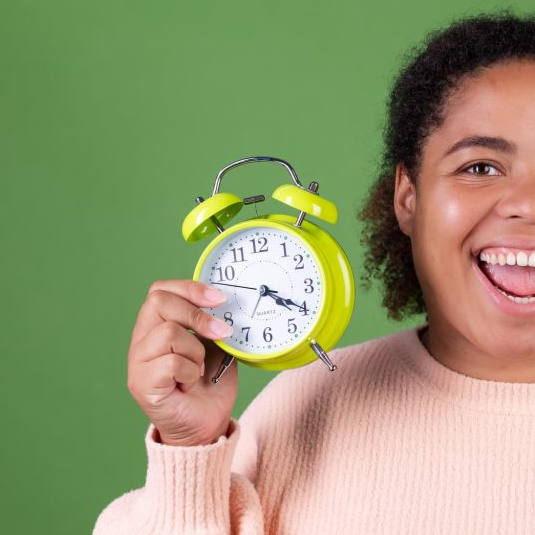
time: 4:20
